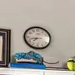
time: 7:42
